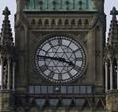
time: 3:46
